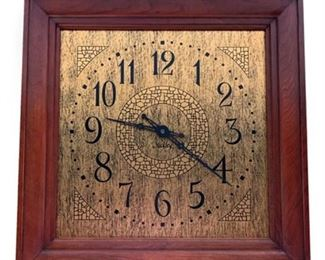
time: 9:20
